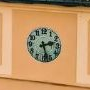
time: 2:27
